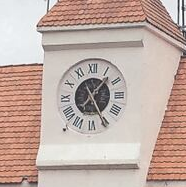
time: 1:25
